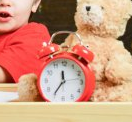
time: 11:35
